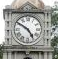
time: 4:50
